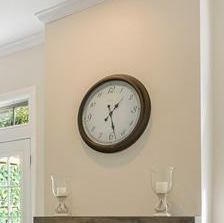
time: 1:28
